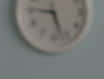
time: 9:27
